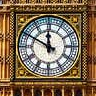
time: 11:49
